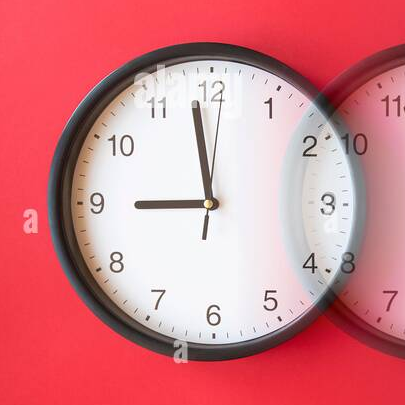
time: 8:58
